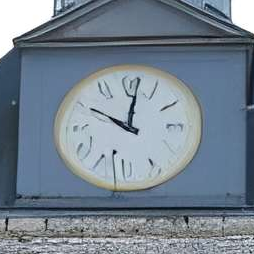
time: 10:01
